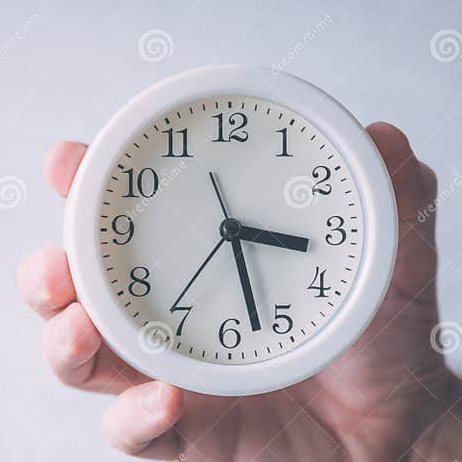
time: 3:27
